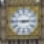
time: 2:45
